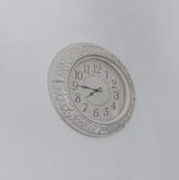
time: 7:45
